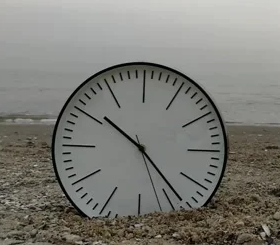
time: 10:23
